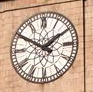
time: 1:50
